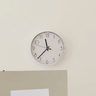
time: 11:36
